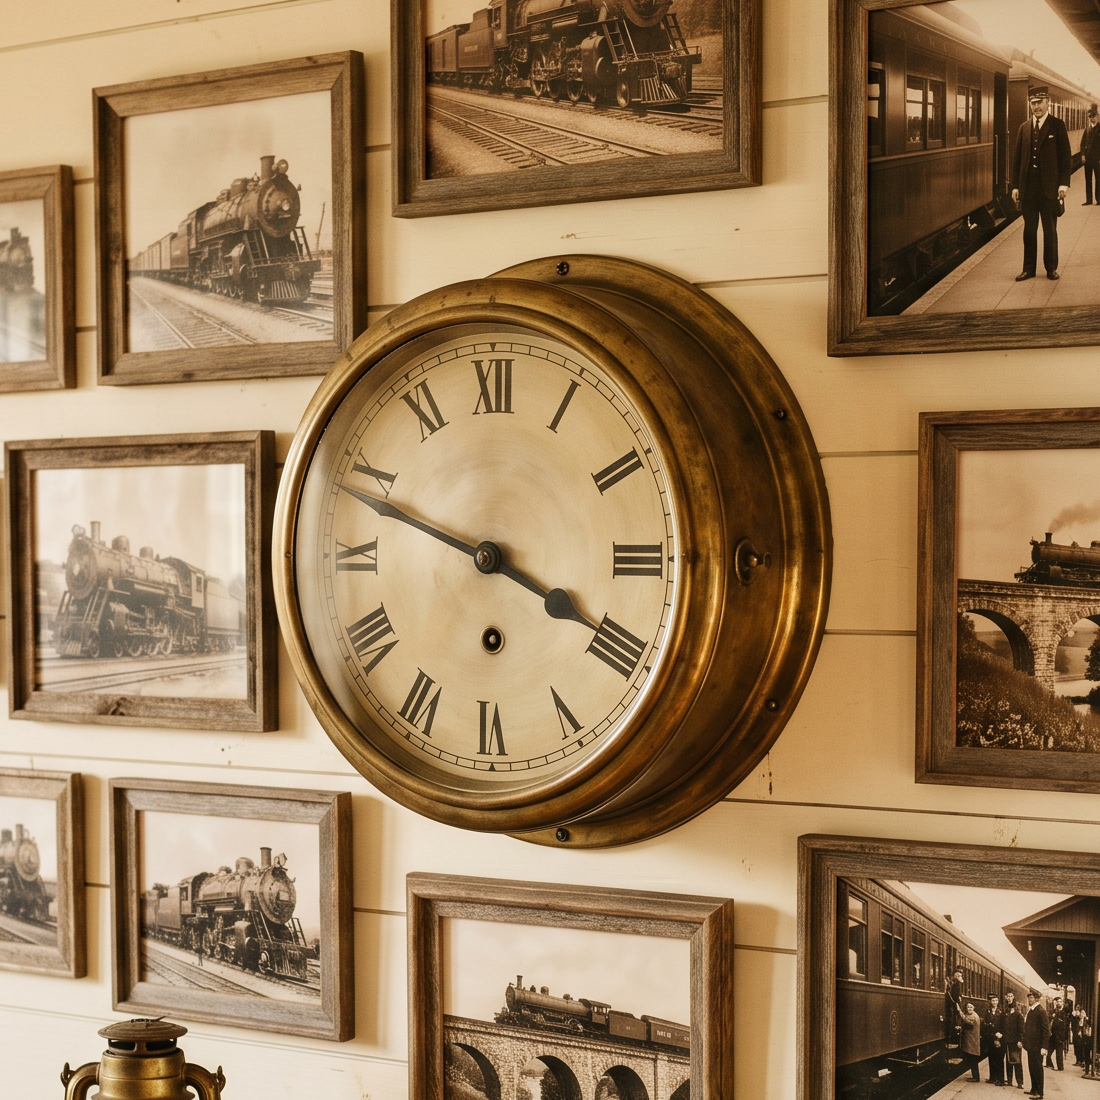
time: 3:48
